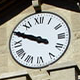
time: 9:49
